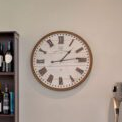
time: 1:13
